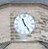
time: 11:24
